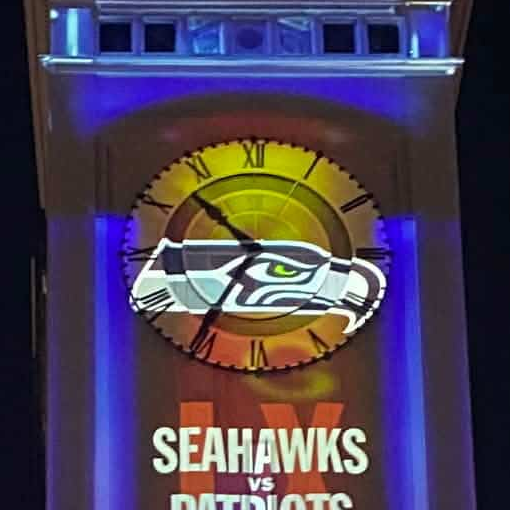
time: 10:35
